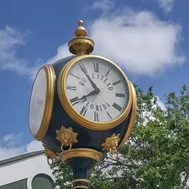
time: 7:54
